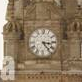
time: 3:23
